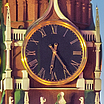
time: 6:24
